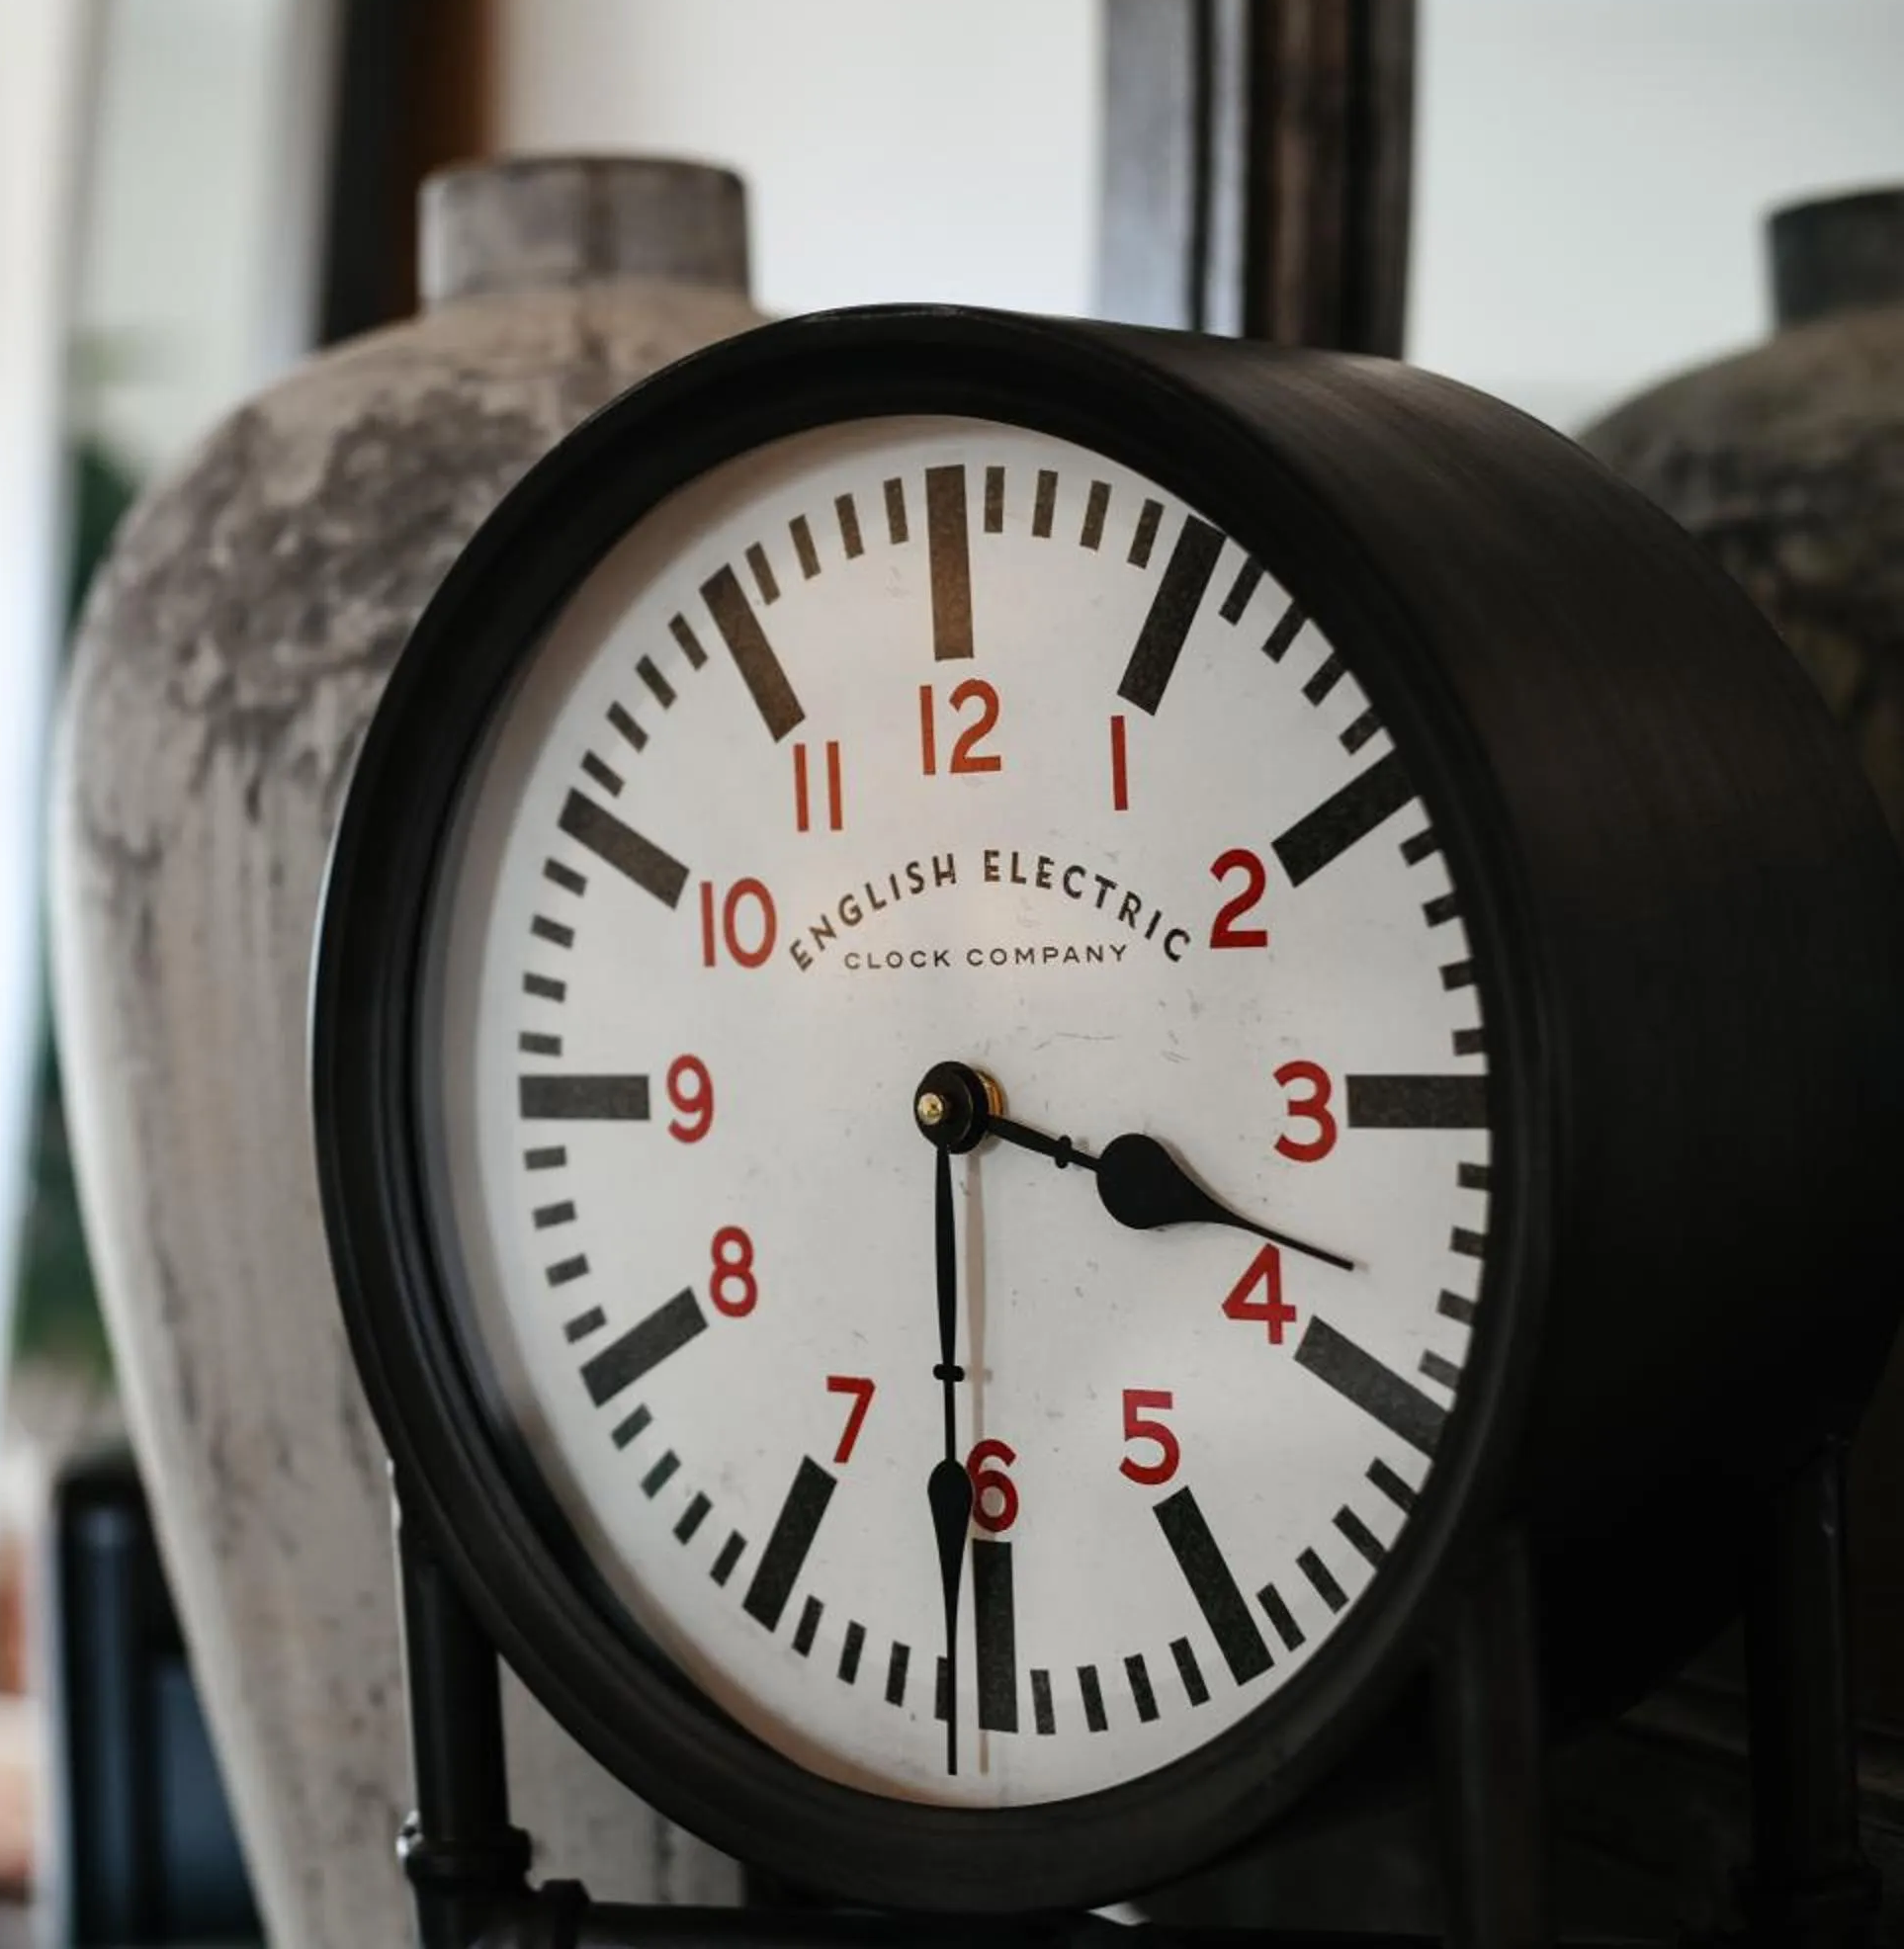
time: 3:30
